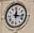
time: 12:16
